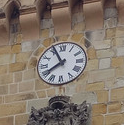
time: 7:55
